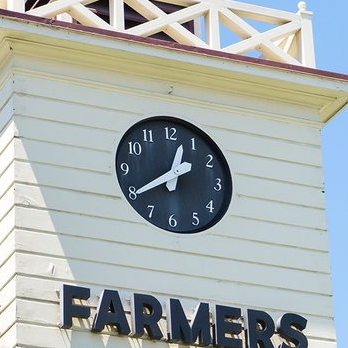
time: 12:39
